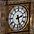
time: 2:27
